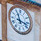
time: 11:17
